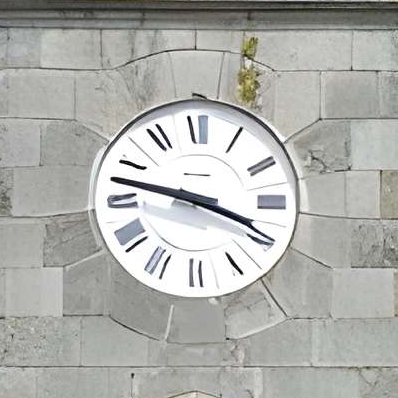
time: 3:47
